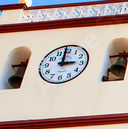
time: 2:58
